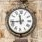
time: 11:43
